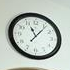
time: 11:06
